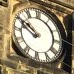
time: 9:50
